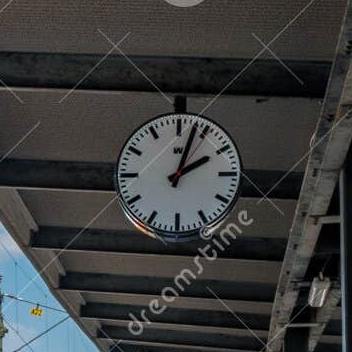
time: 2:03
